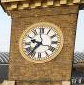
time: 9:36
